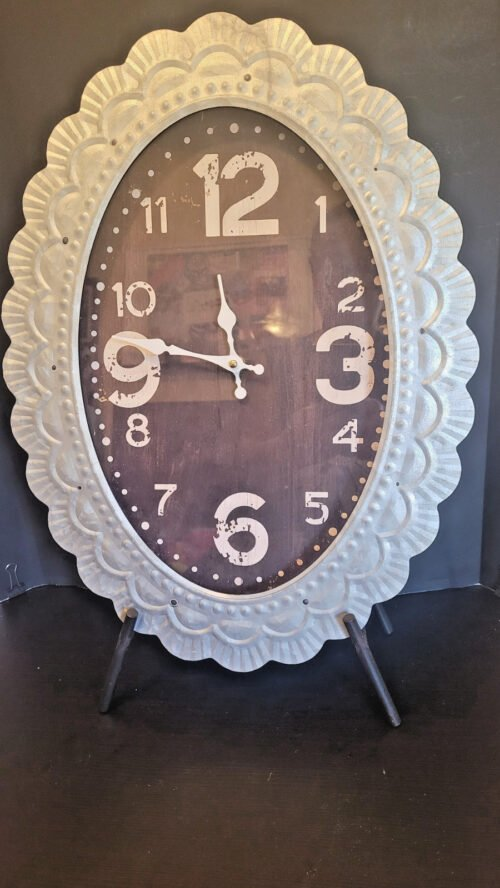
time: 11:46
